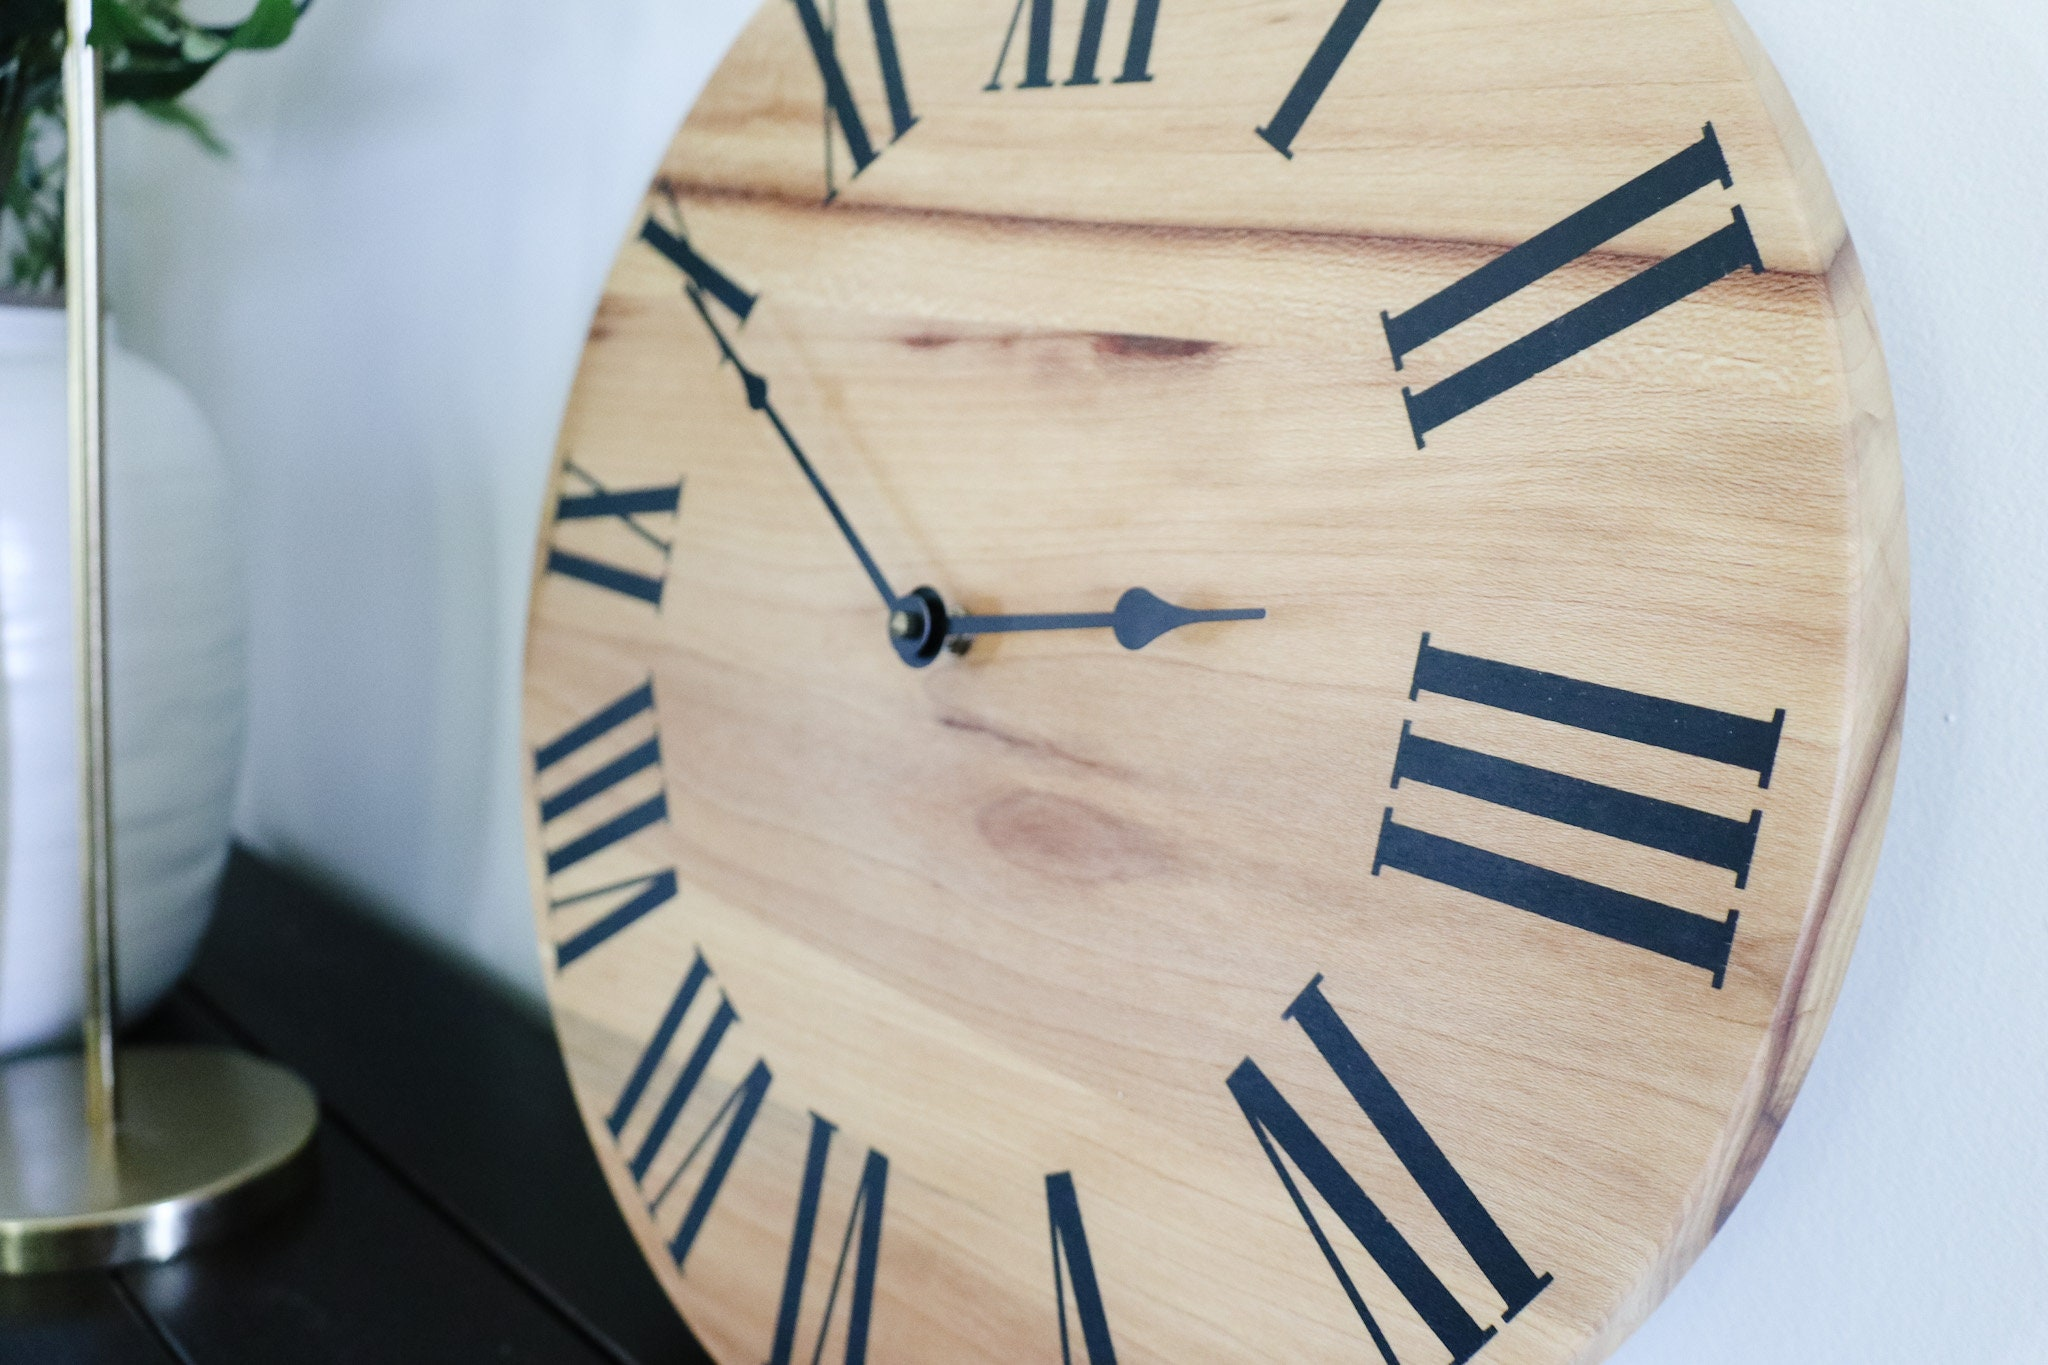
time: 2:49
